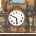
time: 5:49
